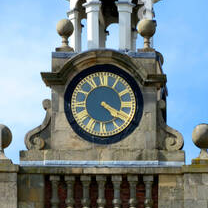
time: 4:19
